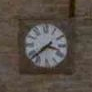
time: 3:38
